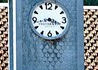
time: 3:43
